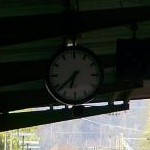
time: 6:38
